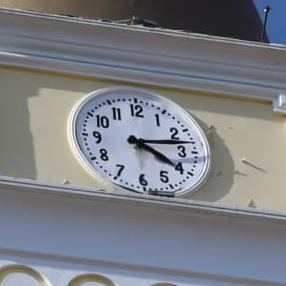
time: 4:12
